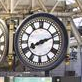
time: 8:11
